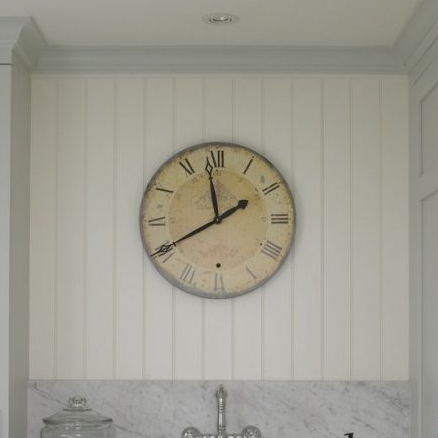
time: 11:40
